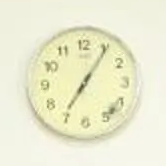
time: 7:05
